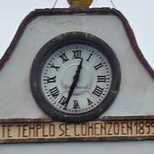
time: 12:33
